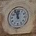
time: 11:56
